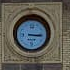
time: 3:15
